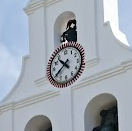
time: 10:39
